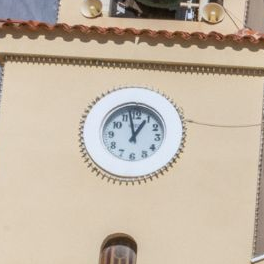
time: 12:57
